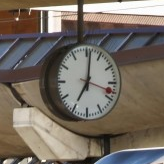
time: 7:01
